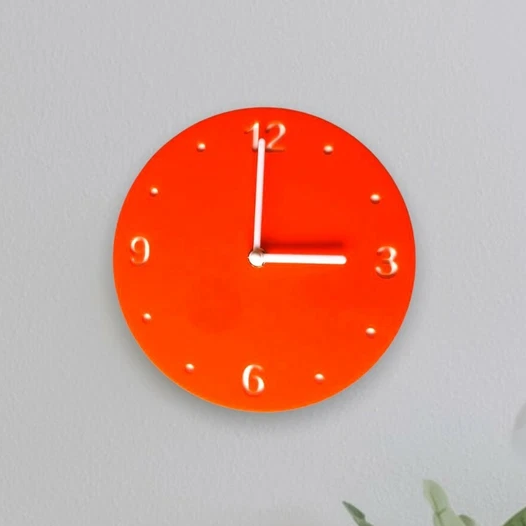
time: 3:00
